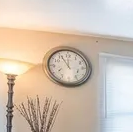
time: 11:00
